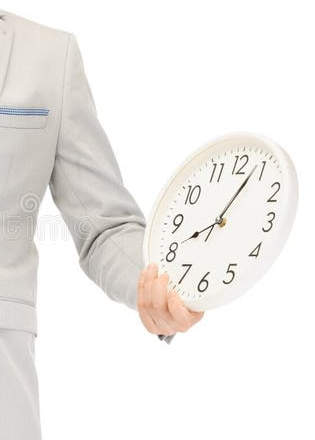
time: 8:03
